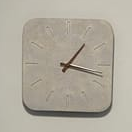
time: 1:17
